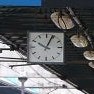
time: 10:03
